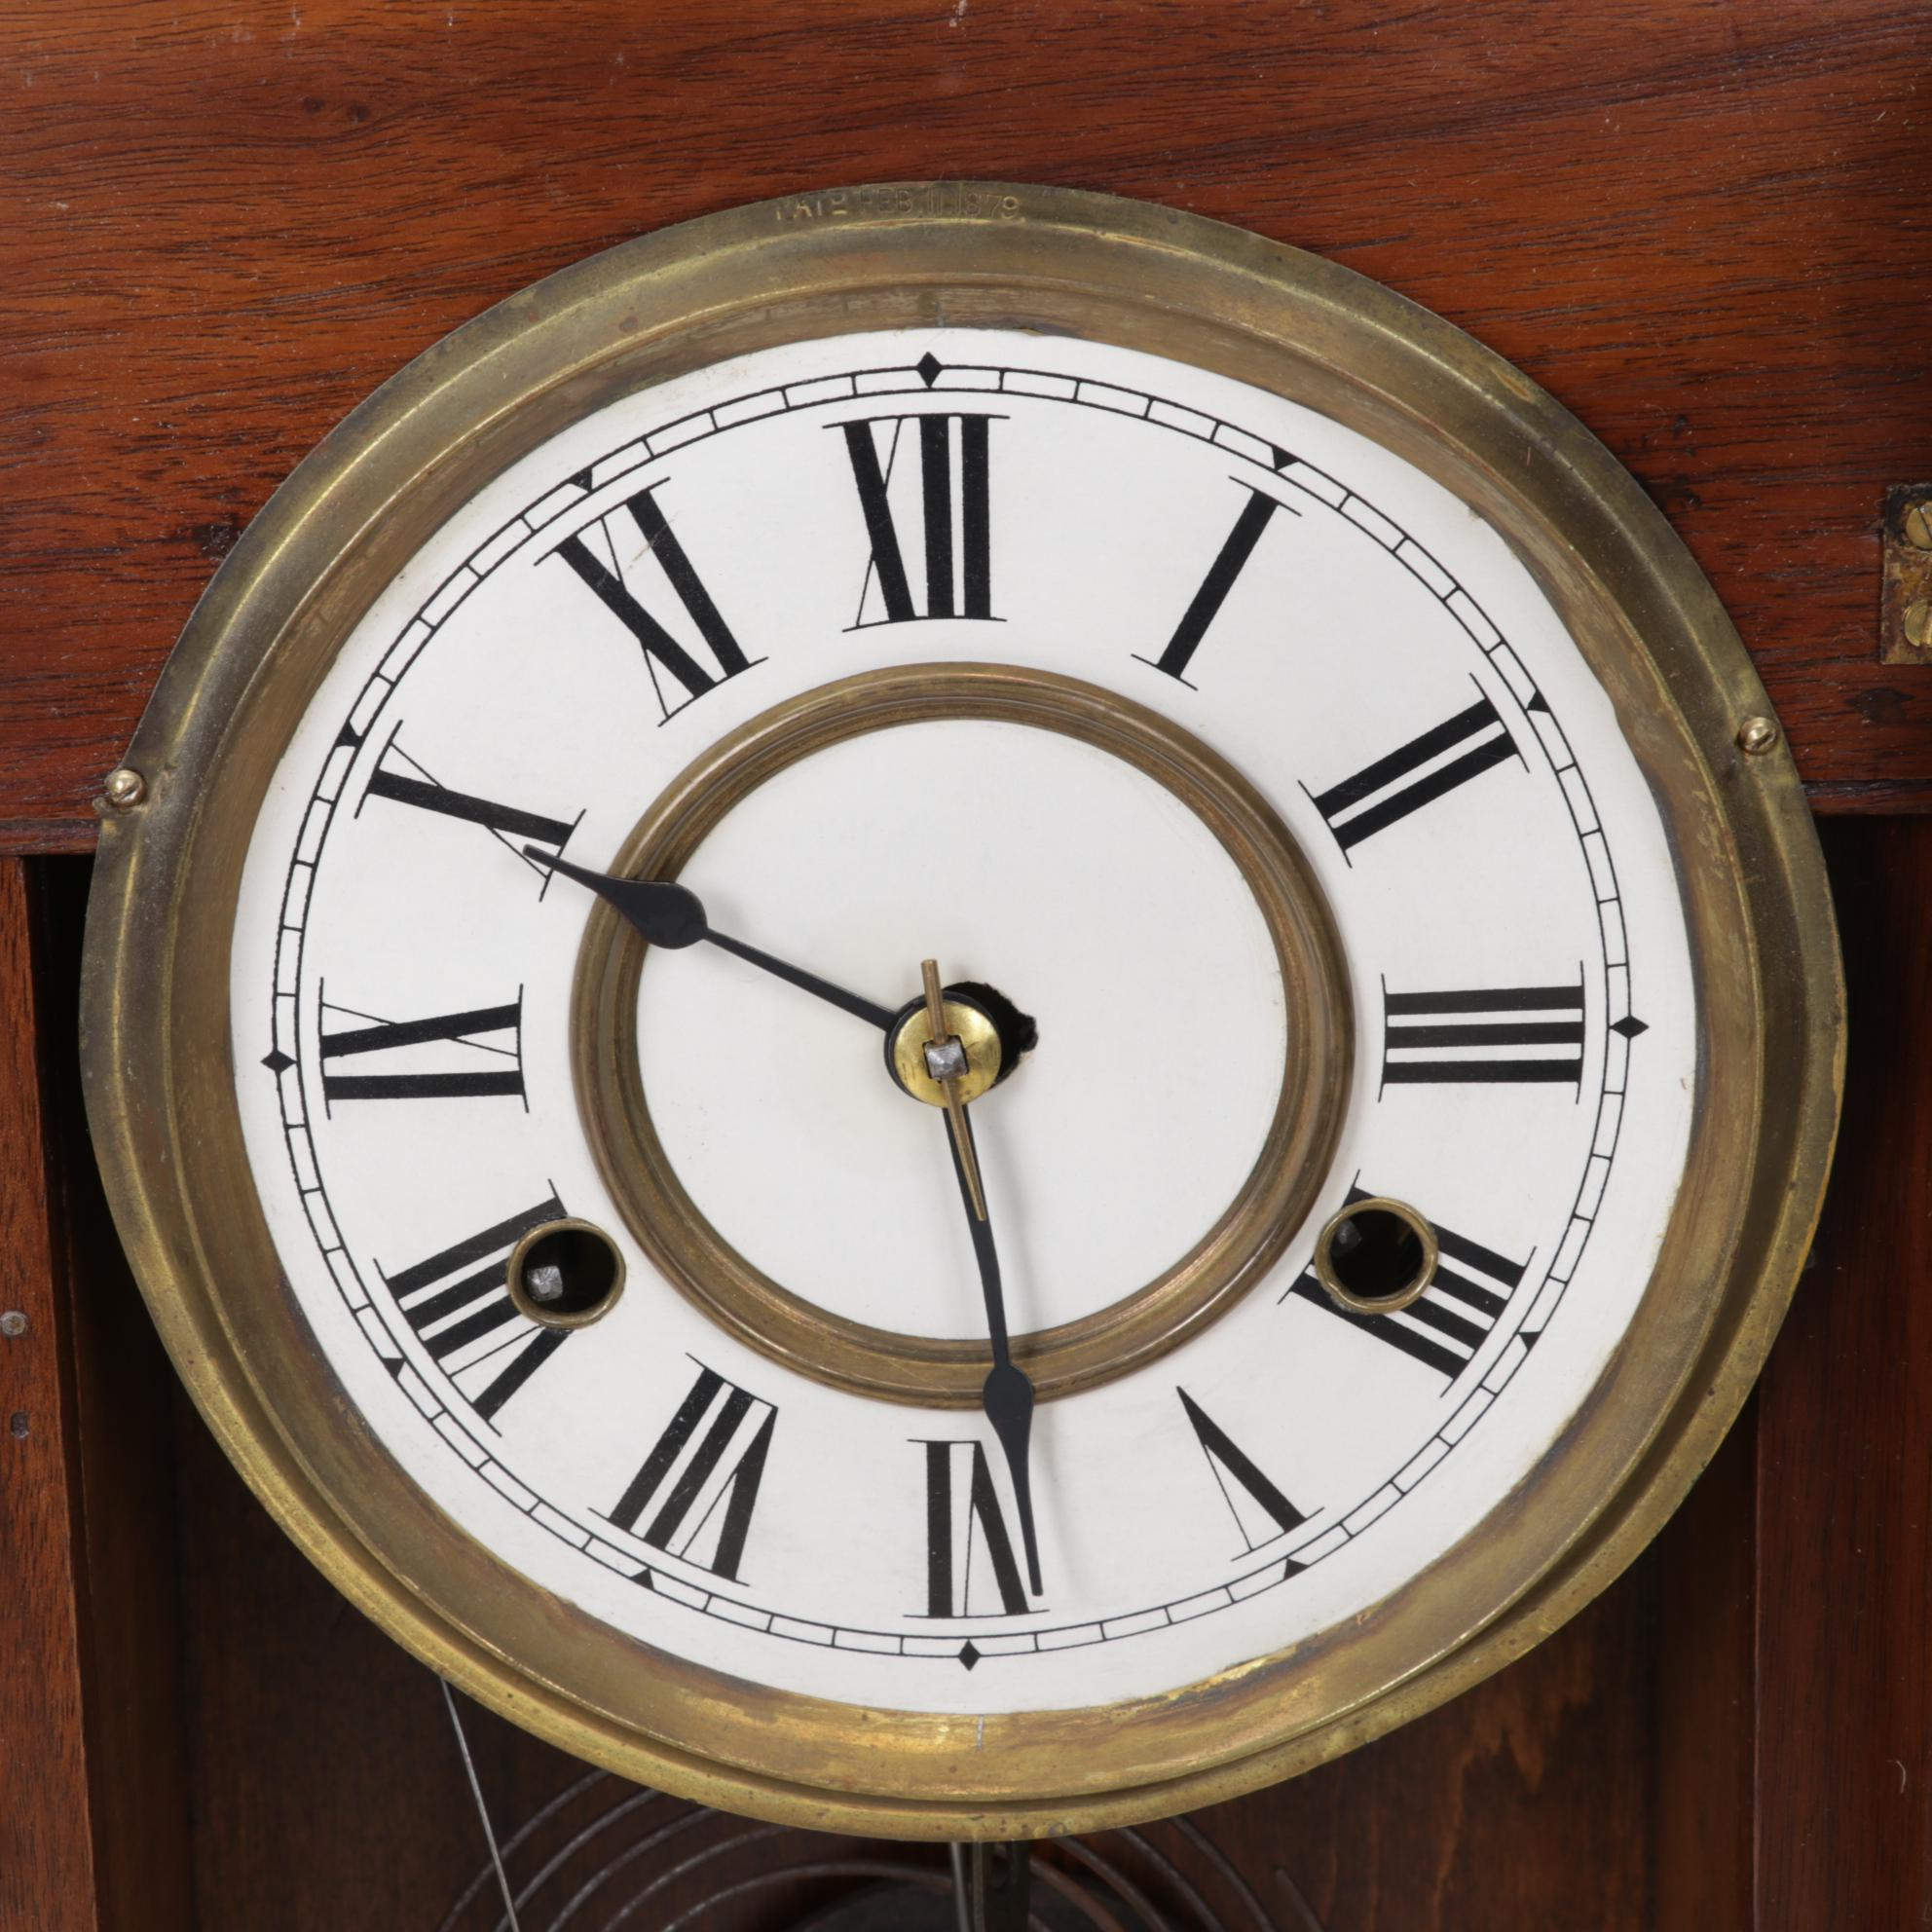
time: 5:49
